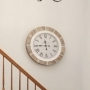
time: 11:44
